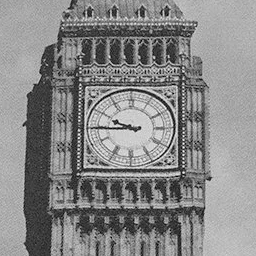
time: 9:44
